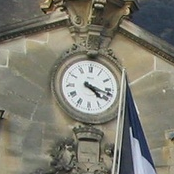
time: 4:17
